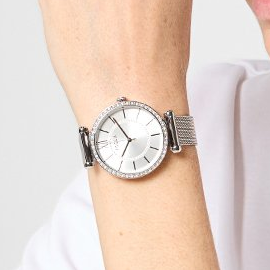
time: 6:55
